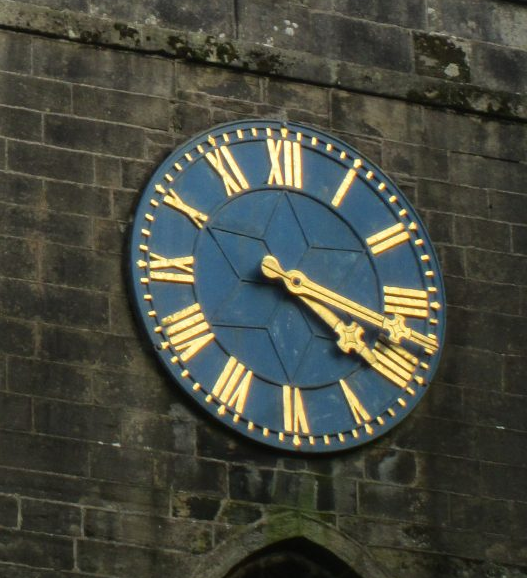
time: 4:17
